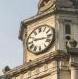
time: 9:17
